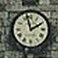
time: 1:57
